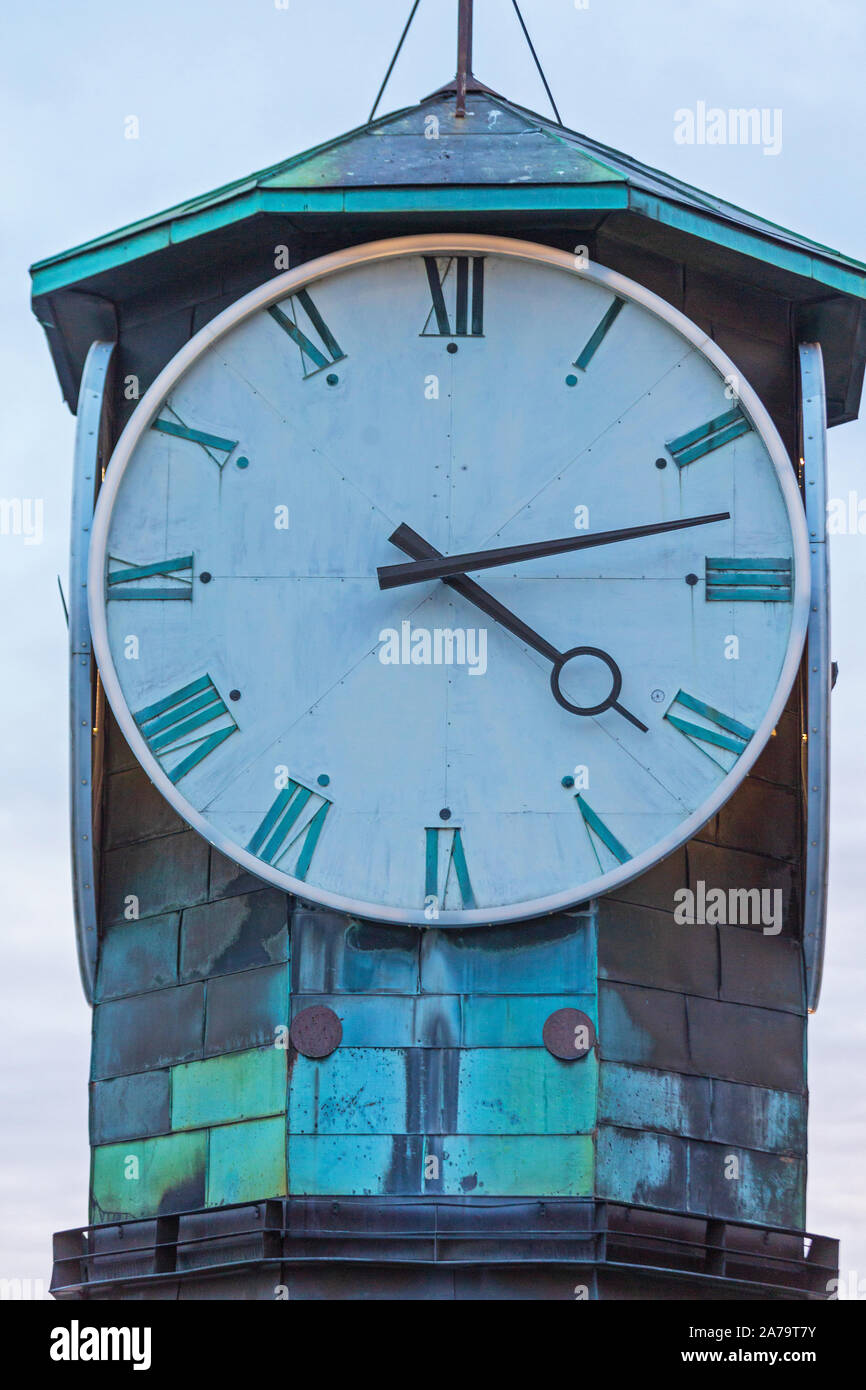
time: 4:12
